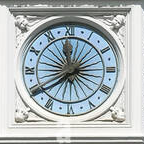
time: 2:39
